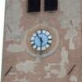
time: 5:54
